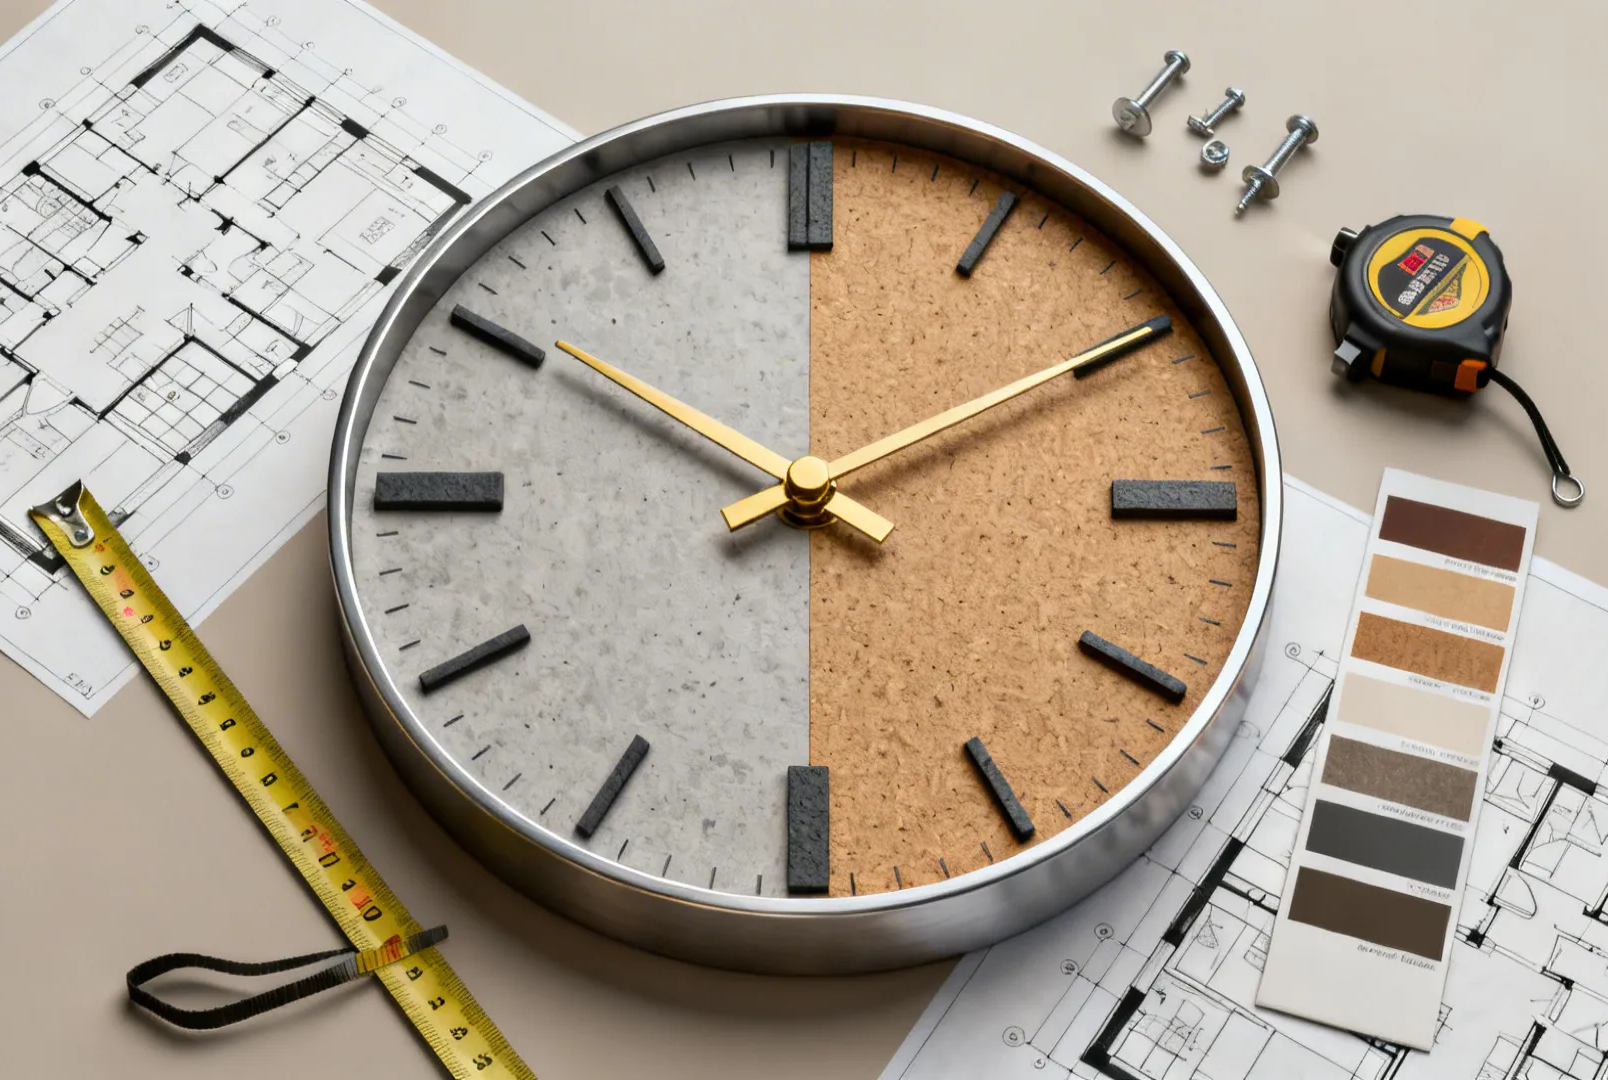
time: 10:09
